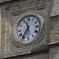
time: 11:35
